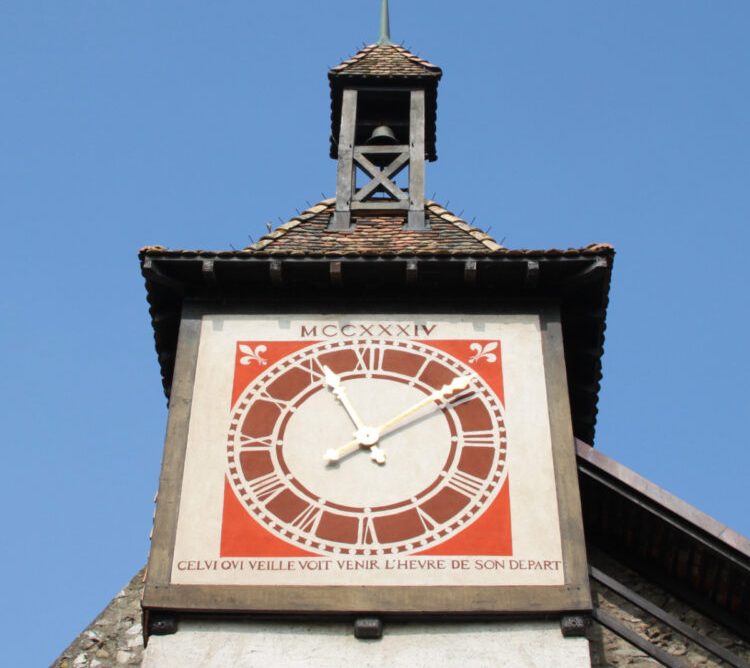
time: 11:09
